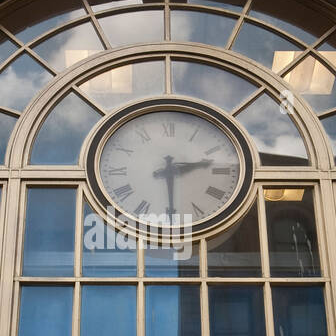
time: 2:29
